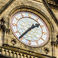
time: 1:36
